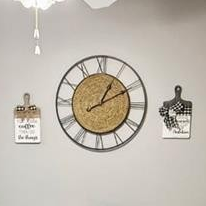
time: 1:10
